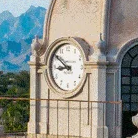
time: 8:50
